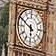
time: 5:49
